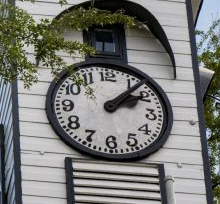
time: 2:07
